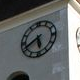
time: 5:40
